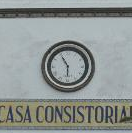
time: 5:54
